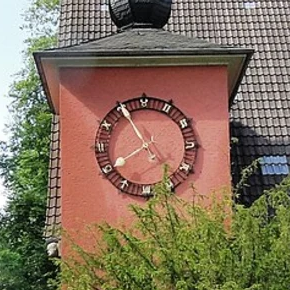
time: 7:55
